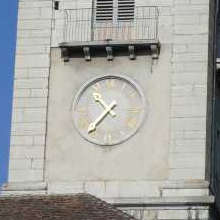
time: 10:37
